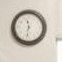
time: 11:32
